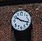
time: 10:17
